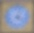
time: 4:02
